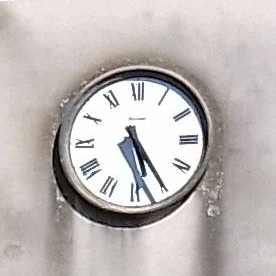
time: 5:24
